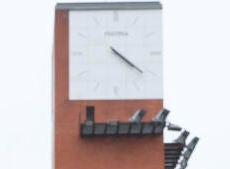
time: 4:21
